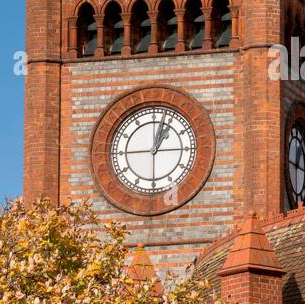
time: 1:02
